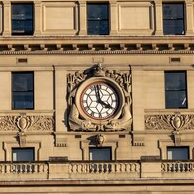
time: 3:58
